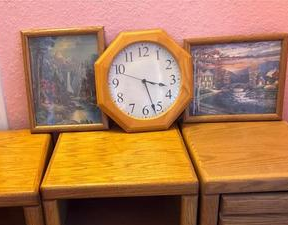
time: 3:26
